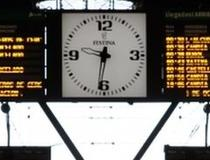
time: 9:31
